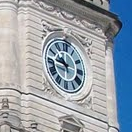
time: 10:45
